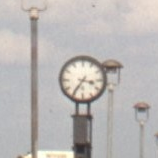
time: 3:35
